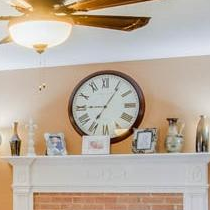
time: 9:05
